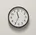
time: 11:34
